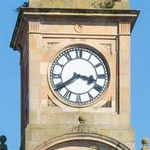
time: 3:39
